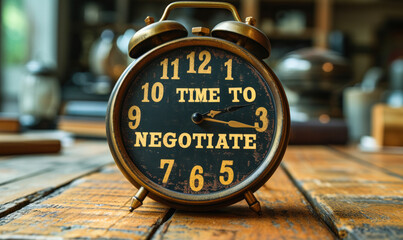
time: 2:16
